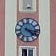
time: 4:16
